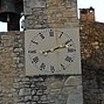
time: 2:12
